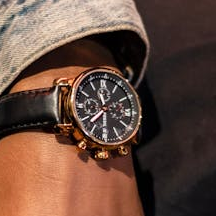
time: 11:37
